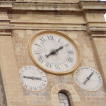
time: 8:09
